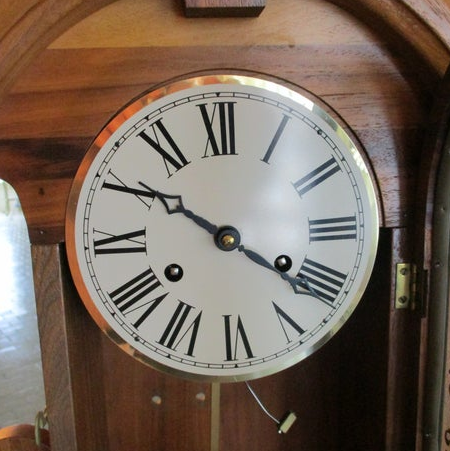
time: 10:20
